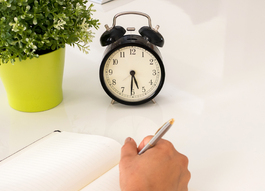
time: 5:30
